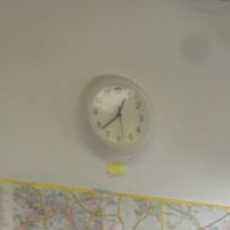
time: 12:38
